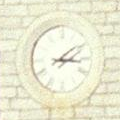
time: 3:09
